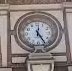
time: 12:24
